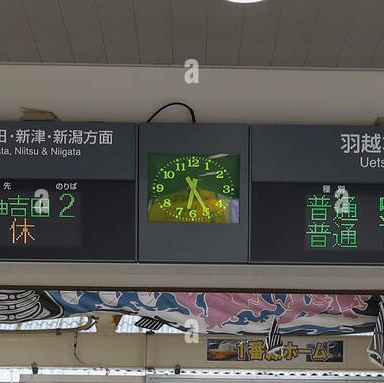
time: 6:25
